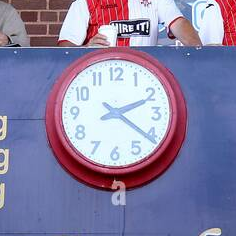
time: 2:21
